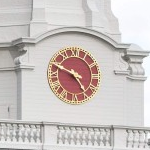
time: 4:48
